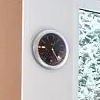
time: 12:24
